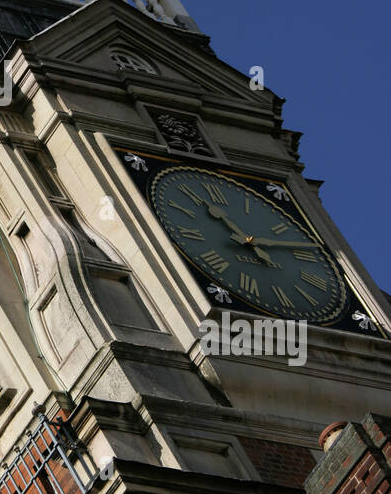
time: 11:13
